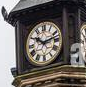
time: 10:12
